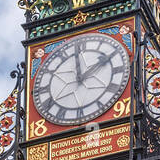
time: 1:59
